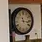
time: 11:16
